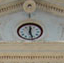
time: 12:27
